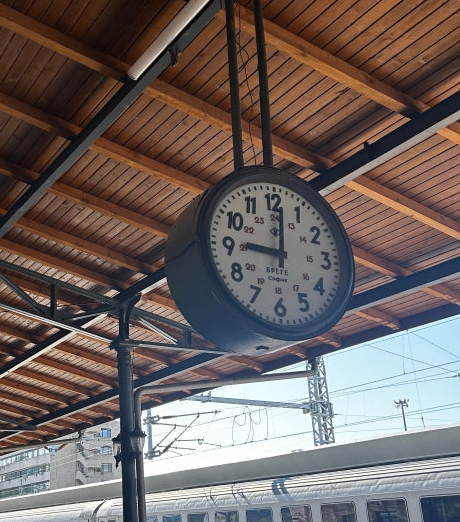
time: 9:01
